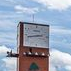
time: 2:42
